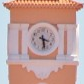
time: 3:28
